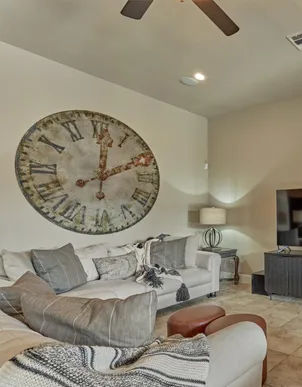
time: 12:10
